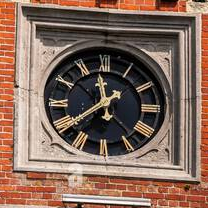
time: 11:38
